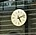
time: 5:11
